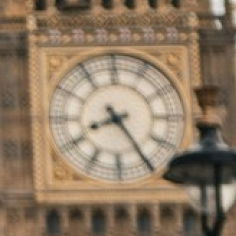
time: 8:24
